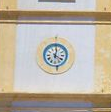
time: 4:01
